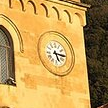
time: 5:15
